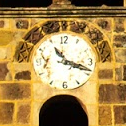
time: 11:18
